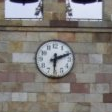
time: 6:11
